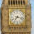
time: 7:17
